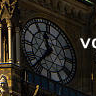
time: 11:36
